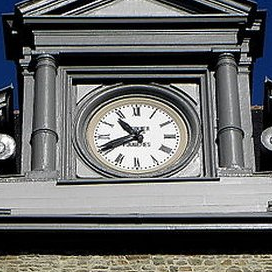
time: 10:41
